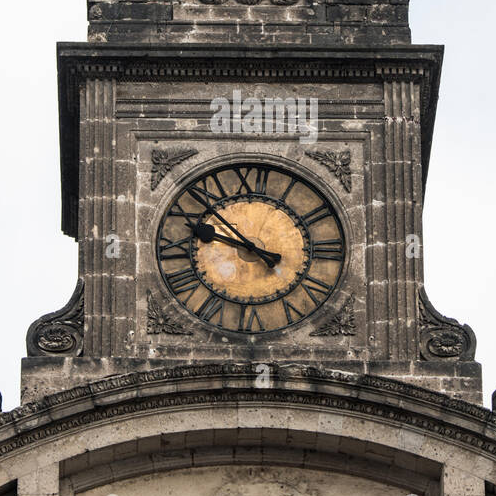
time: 9:52
